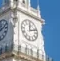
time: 12:11
